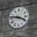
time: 3:46
